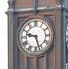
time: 9:27
